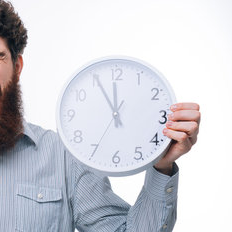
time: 11:55
